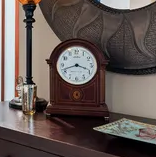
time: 3:41
